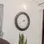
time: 2:40
